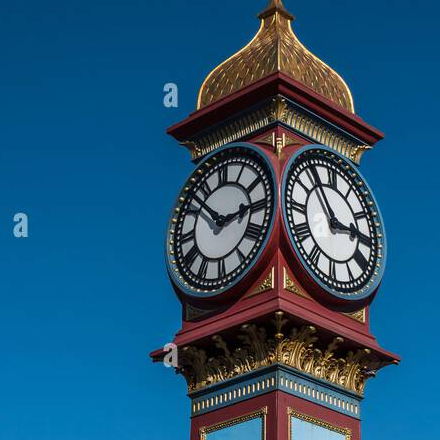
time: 2:52
